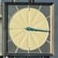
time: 3:16
